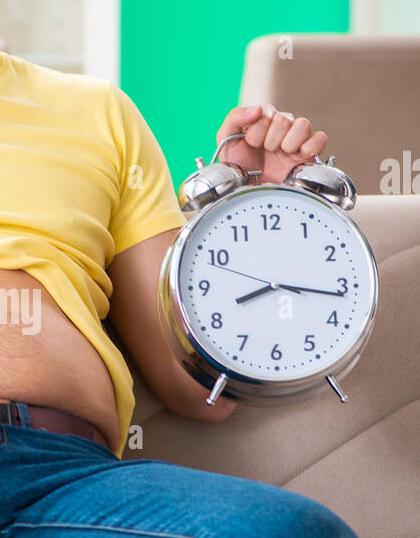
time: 8:16
